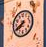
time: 7:40
